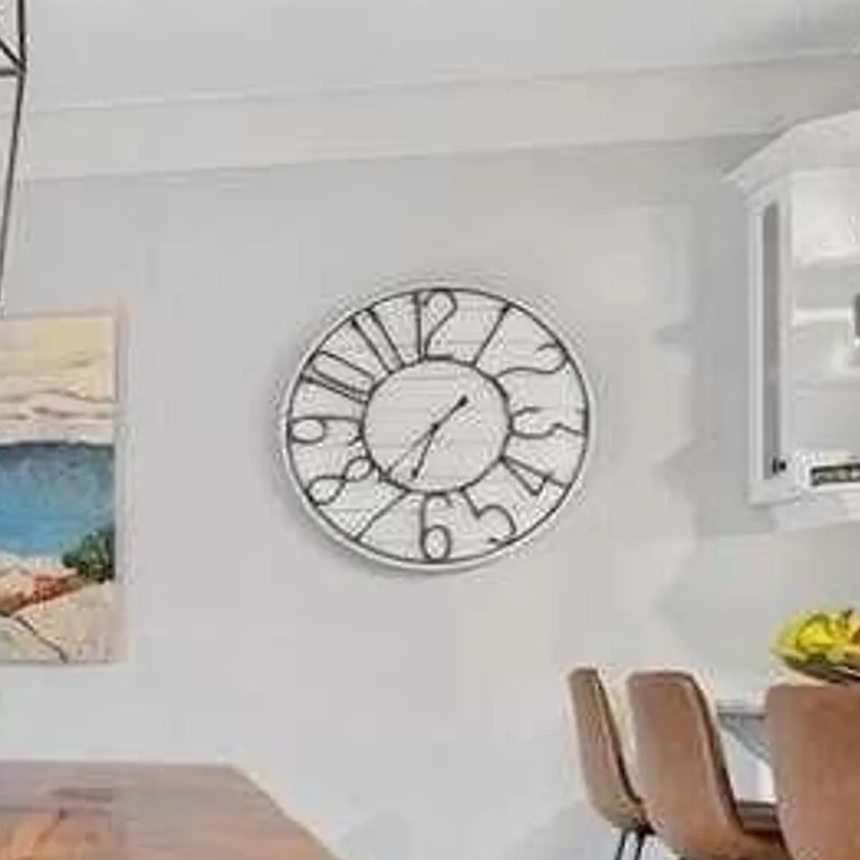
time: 1:33
